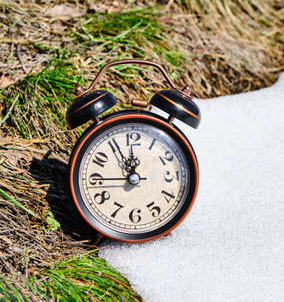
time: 11:55
